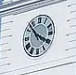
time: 3:52
